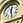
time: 12:28
